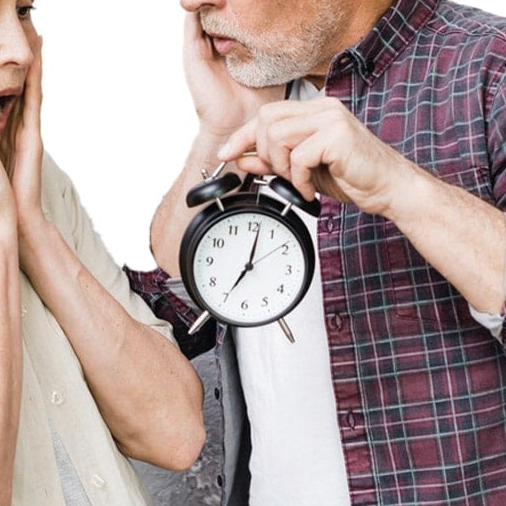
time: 7:01
